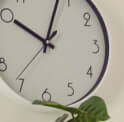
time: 10:03
